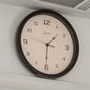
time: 1:30
